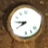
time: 7:45
